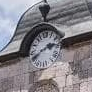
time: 2:40
